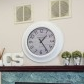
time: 1:24
